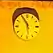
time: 5:55
